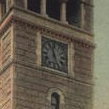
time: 11:25
